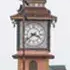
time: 3:39
